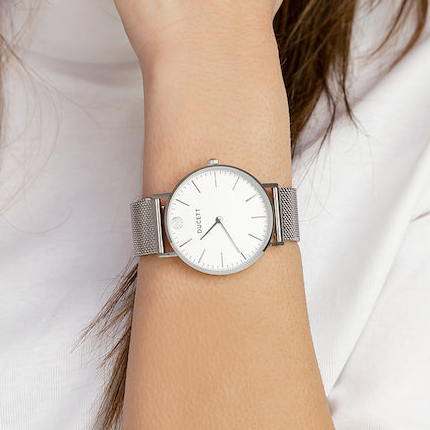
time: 7:25
